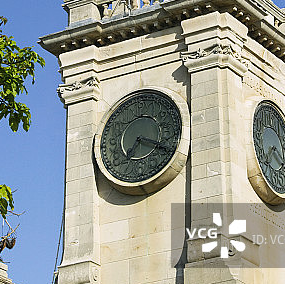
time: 7:18
